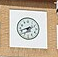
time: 6:42
